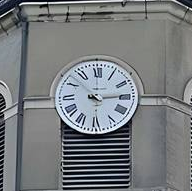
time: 10:14
